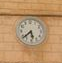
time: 5:38
